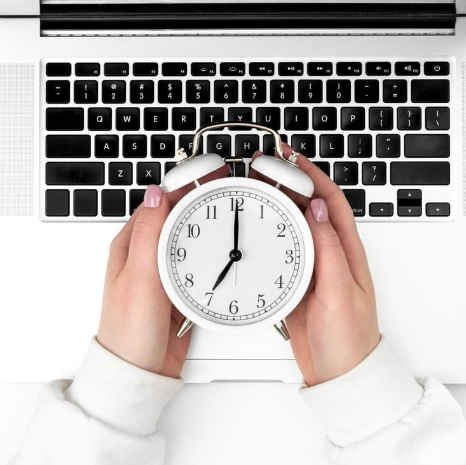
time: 7:00
